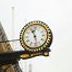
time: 11:28
